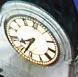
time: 7:33
